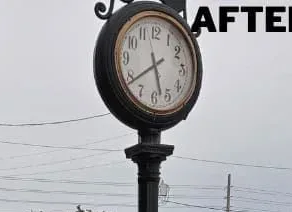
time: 5:38
